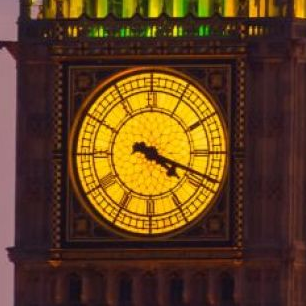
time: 4:18
